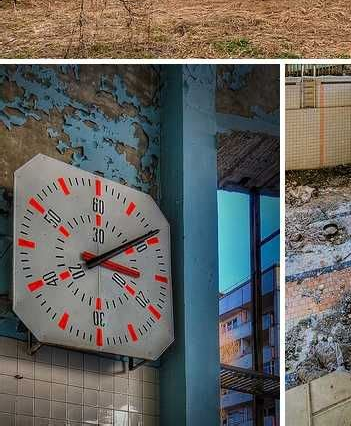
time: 3:09
